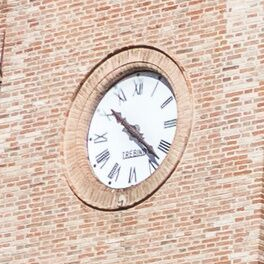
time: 10:22
